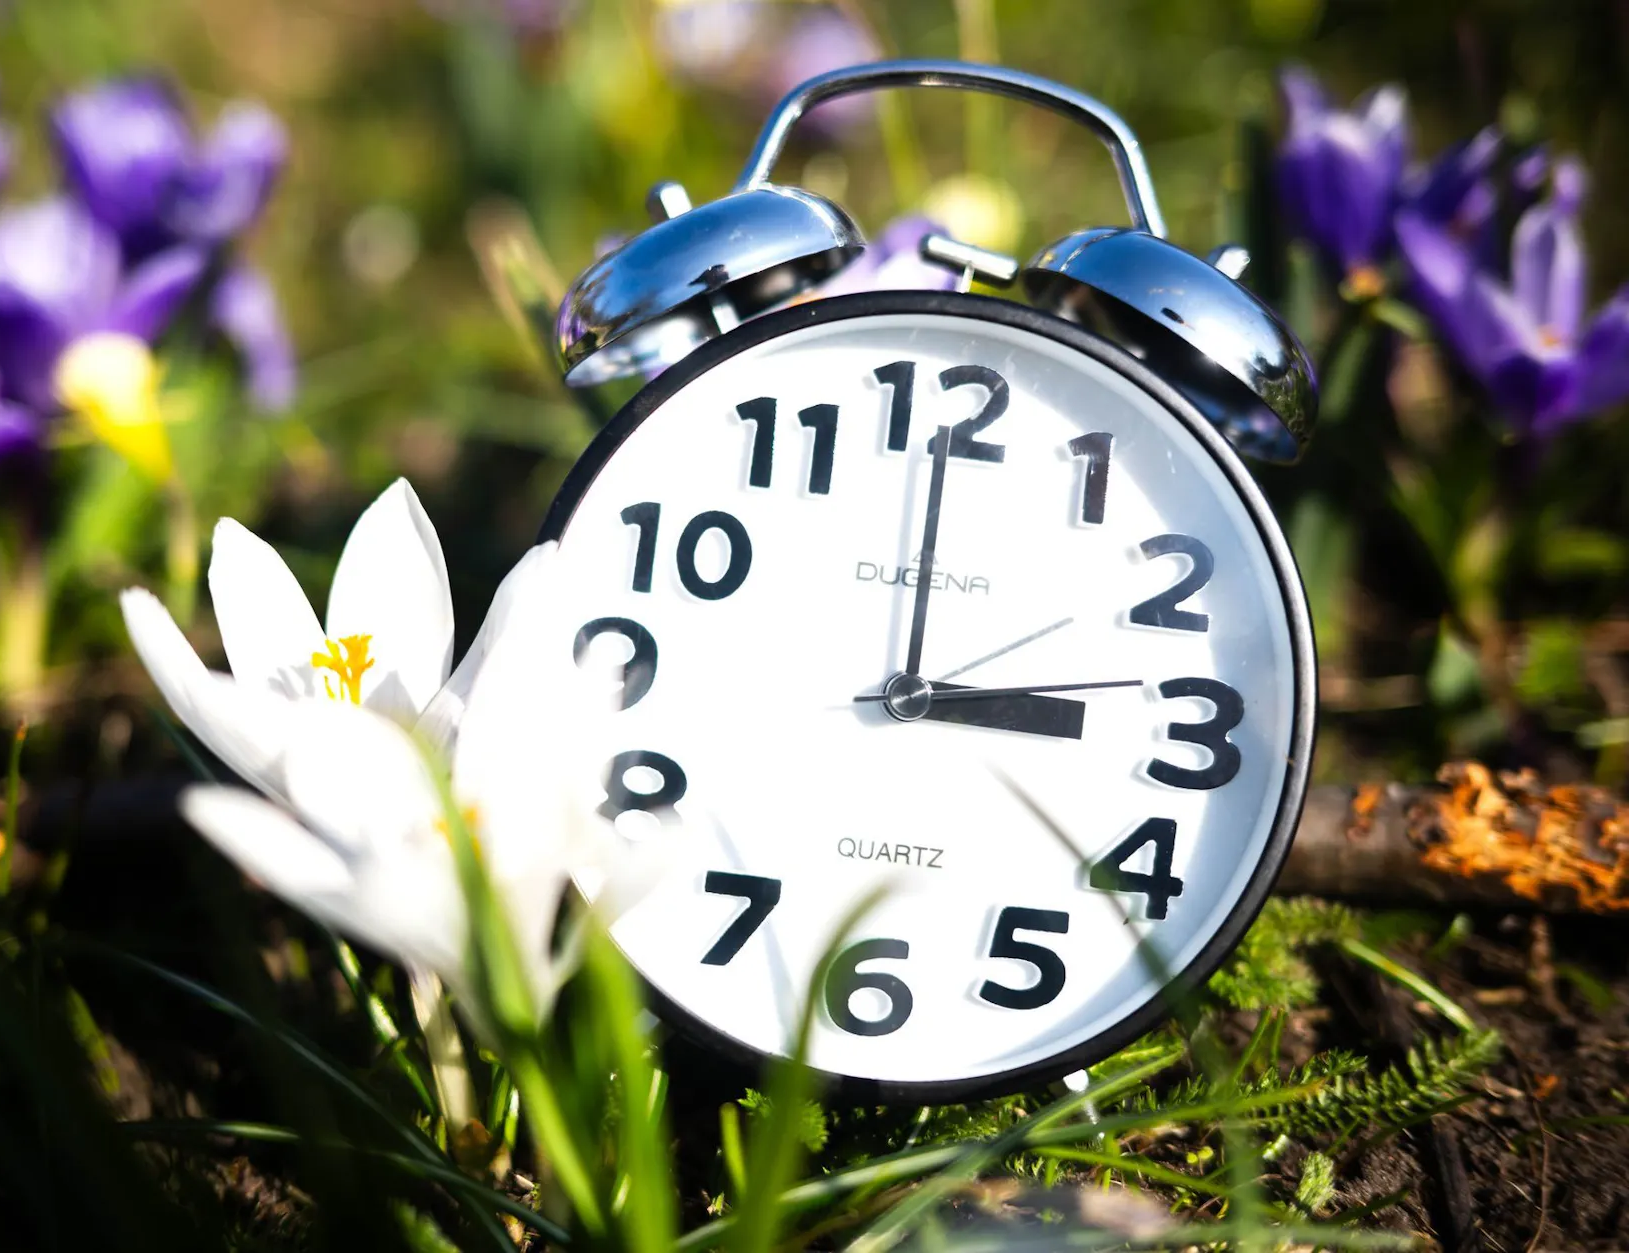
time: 3:00
